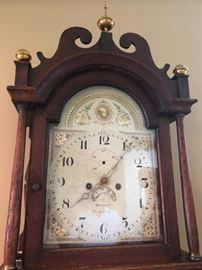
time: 8:07
